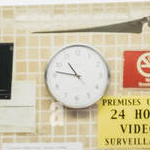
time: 10:46
